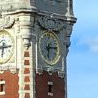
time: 6:14
